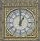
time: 1:00
